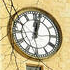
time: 12:02
